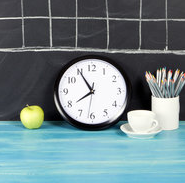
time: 7:54
